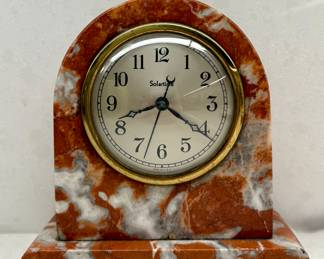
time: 8:20
